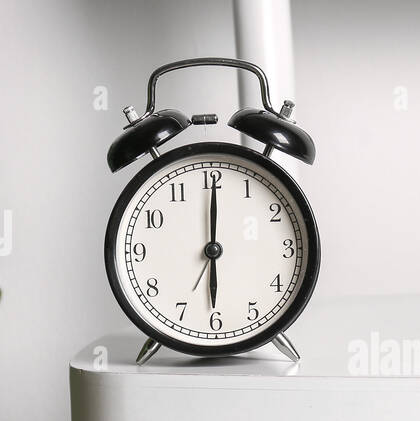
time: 6:00
